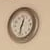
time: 12:32
